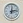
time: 12:12
